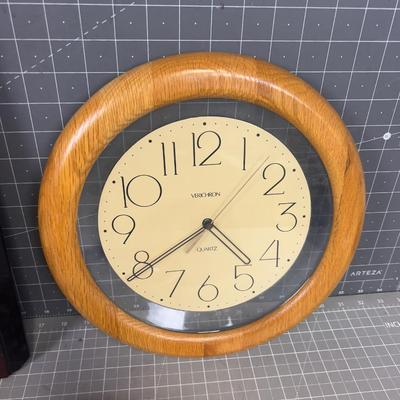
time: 4:39
